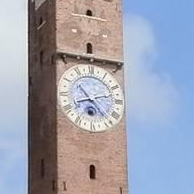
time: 8:12
